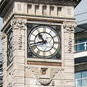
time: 10:42
